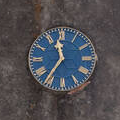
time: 11:35
